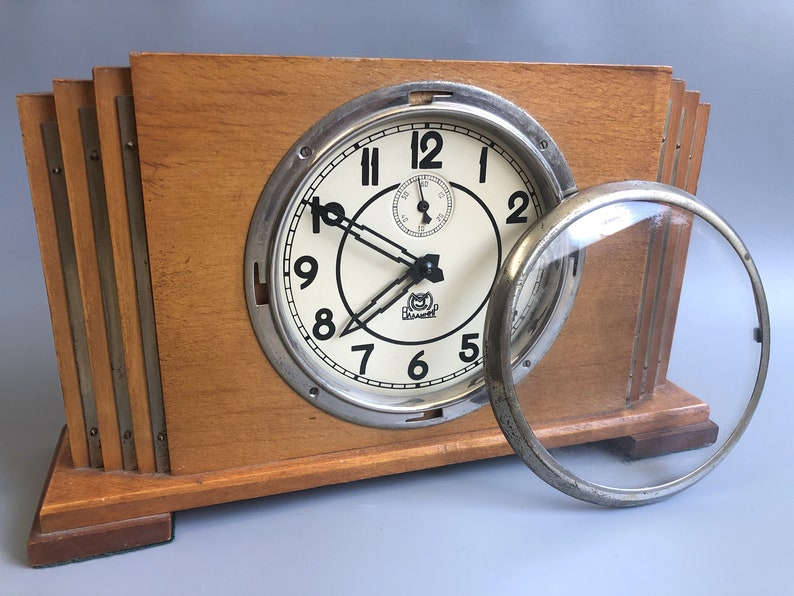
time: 7:50
